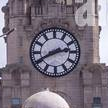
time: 2:40
